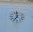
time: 6:59
